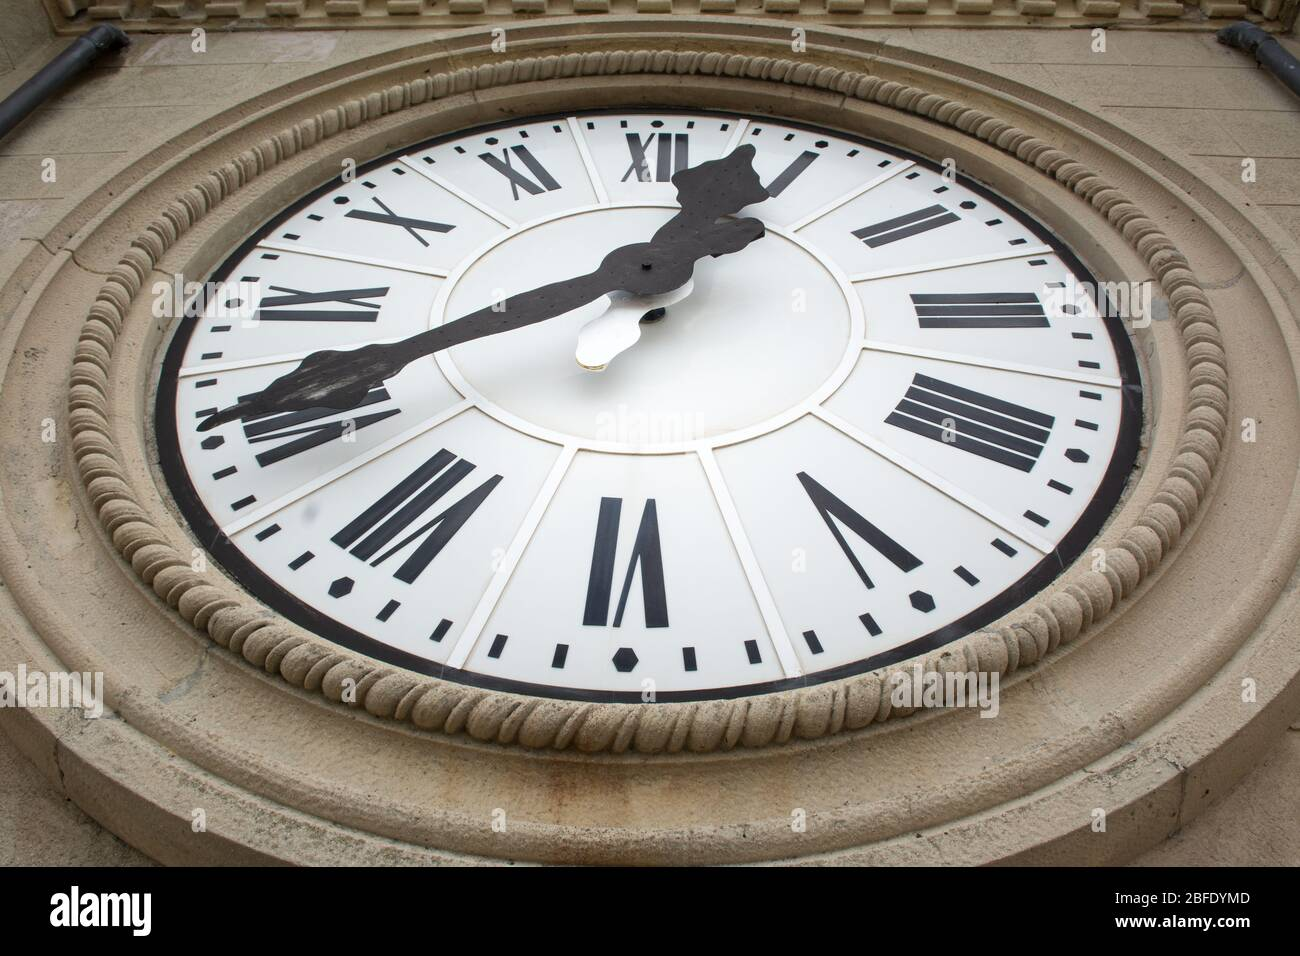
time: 12:40
